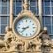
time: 8:38
